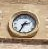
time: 2:34
